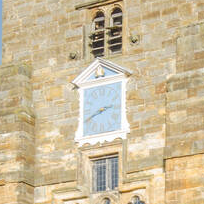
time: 2:40
